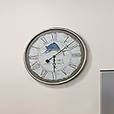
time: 6:08
